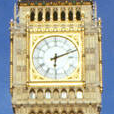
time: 6:11
